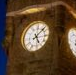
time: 5:07
